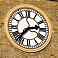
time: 2:37
